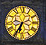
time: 6:35
